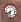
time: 6:38
